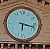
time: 6:17
